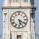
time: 5:19
